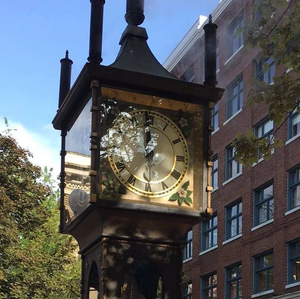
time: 11:59
